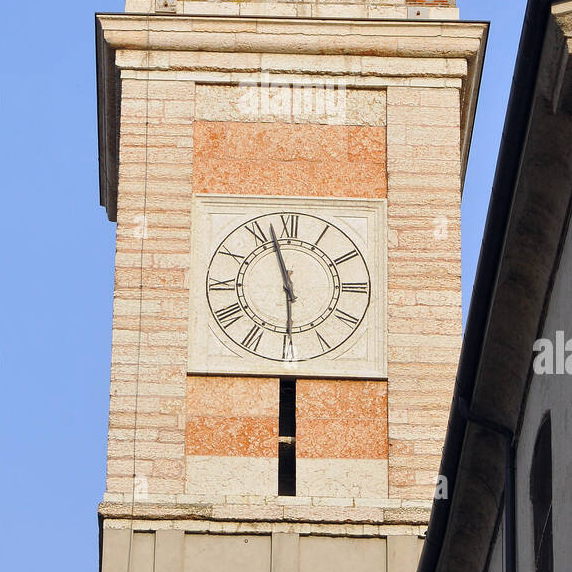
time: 5:57
